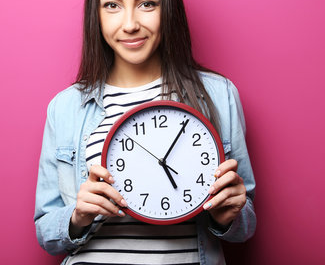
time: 5:05
